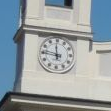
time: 11:46
